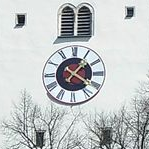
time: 1:20
